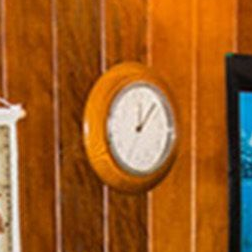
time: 12:07
